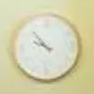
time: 9:53
